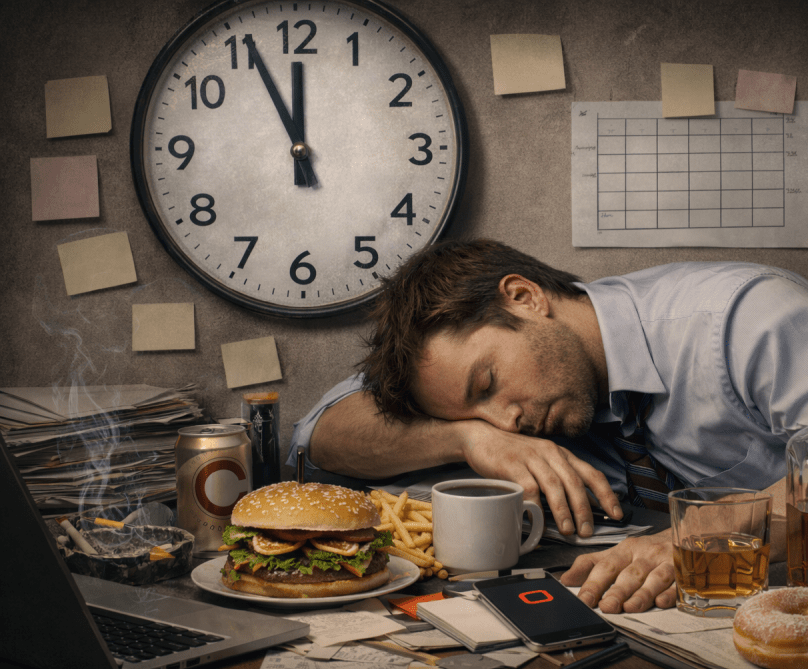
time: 11:55
